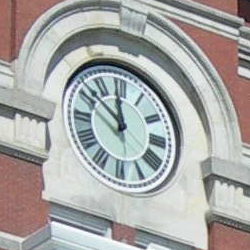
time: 11:51
